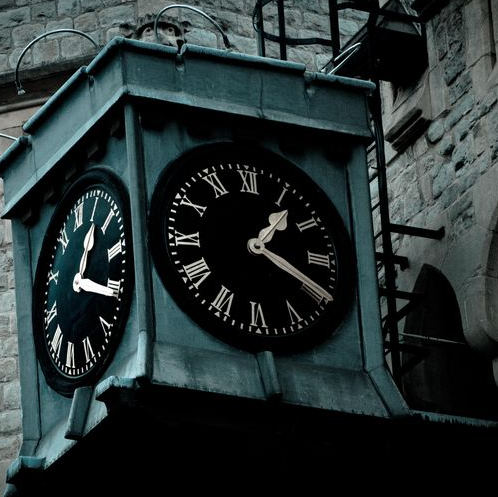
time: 1:19
